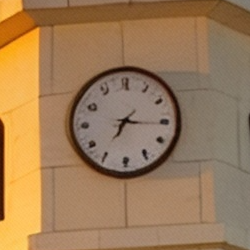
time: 7:15
